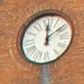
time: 12:09
